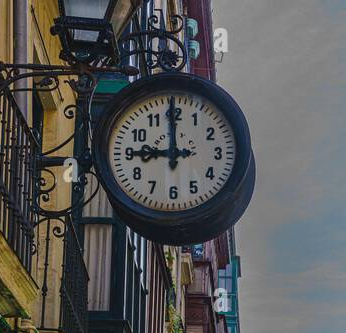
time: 8:59
